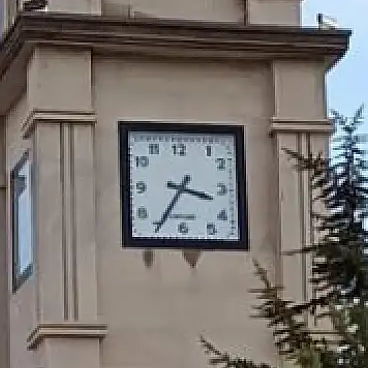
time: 3:35
